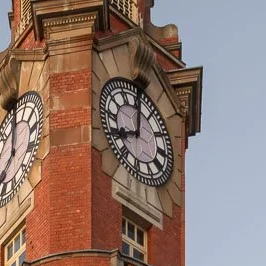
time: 8:00
